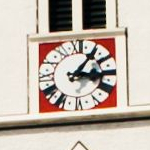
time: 3:05
